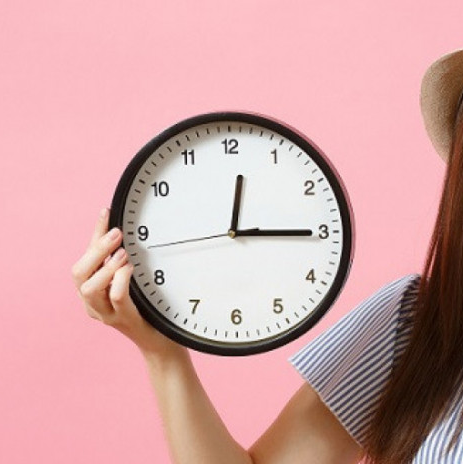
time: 12:15
